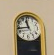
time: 11:43
